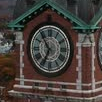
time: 6:54
